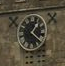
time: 1:21
